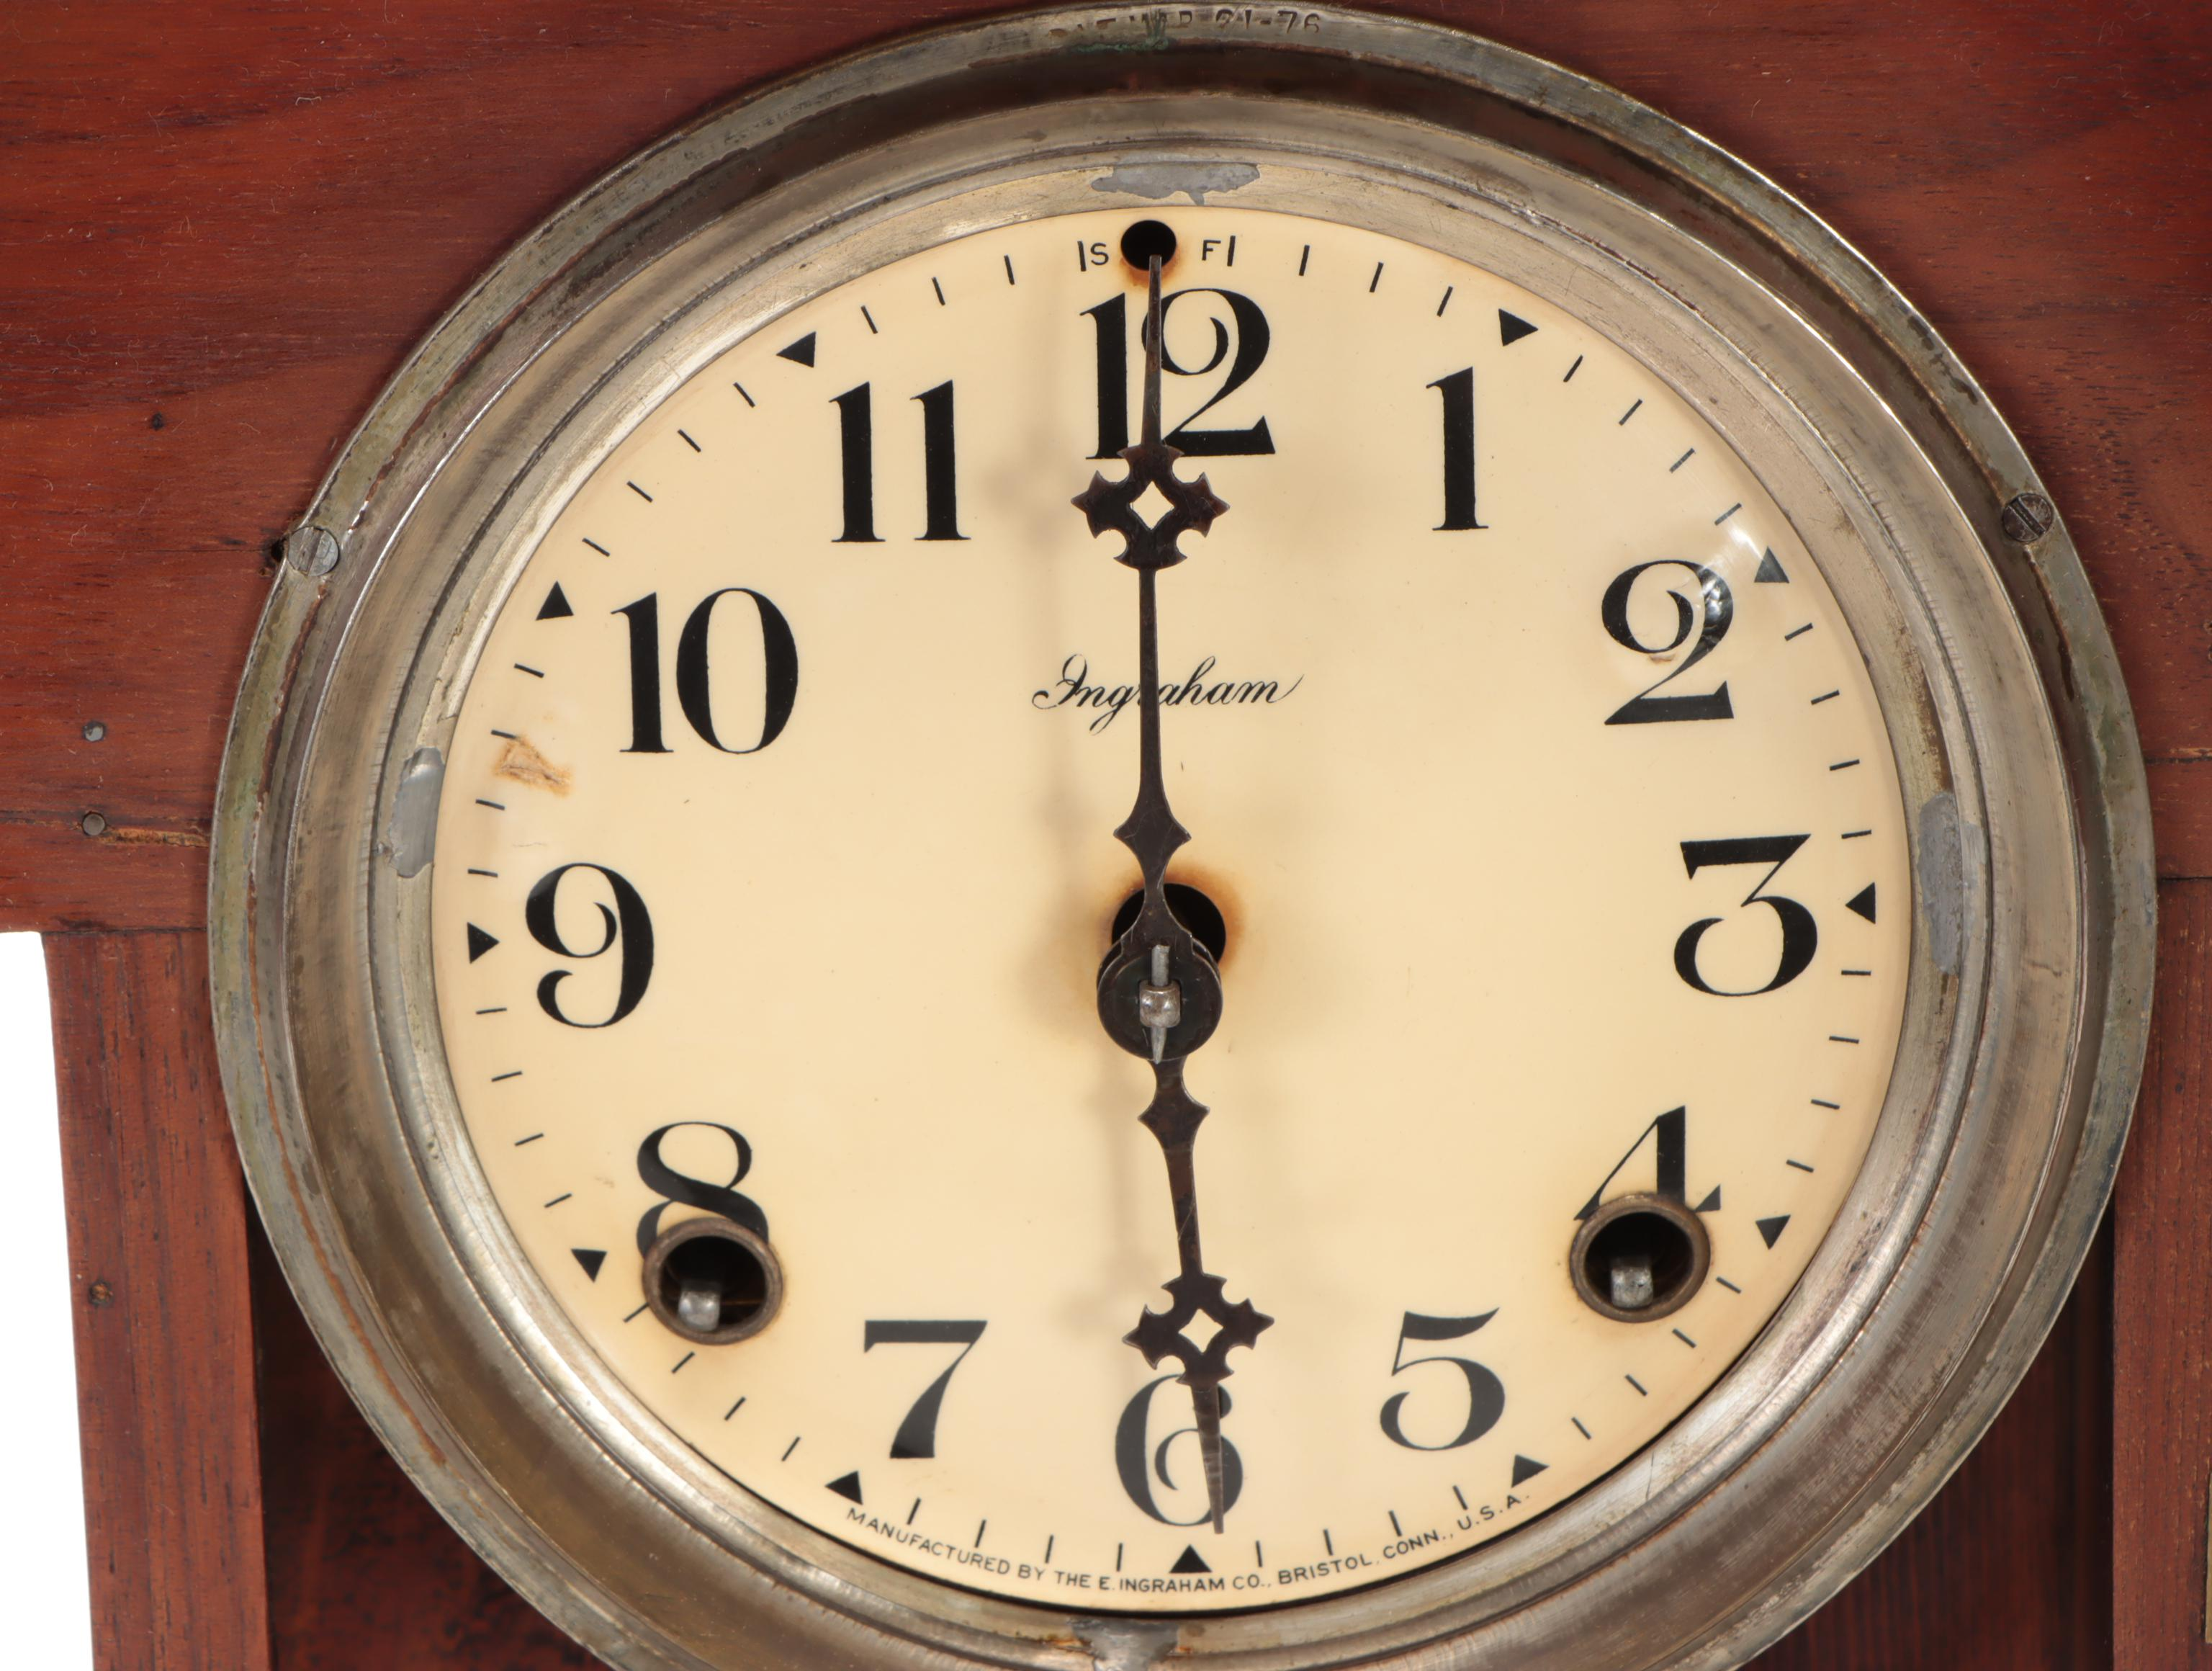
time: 5:59
